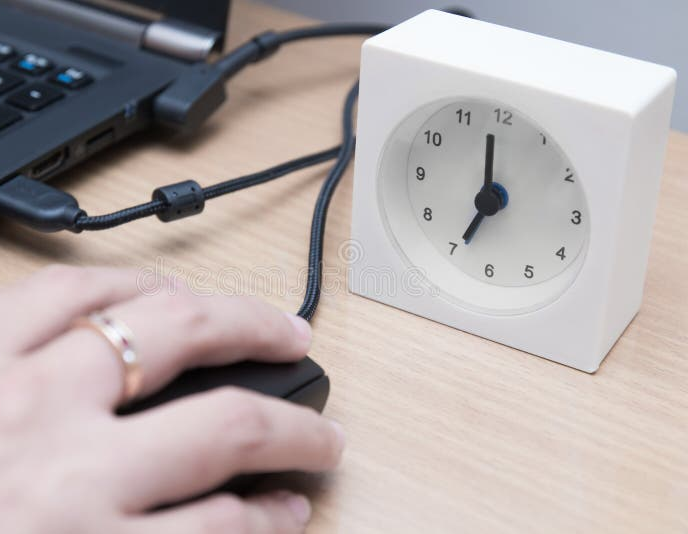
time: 6:58
